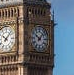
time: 10:07
